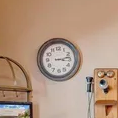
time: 3:12
